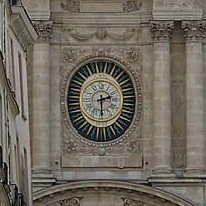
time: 2:29
